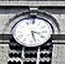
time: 3:27
